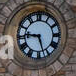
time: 9:27
